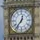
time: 12:36
